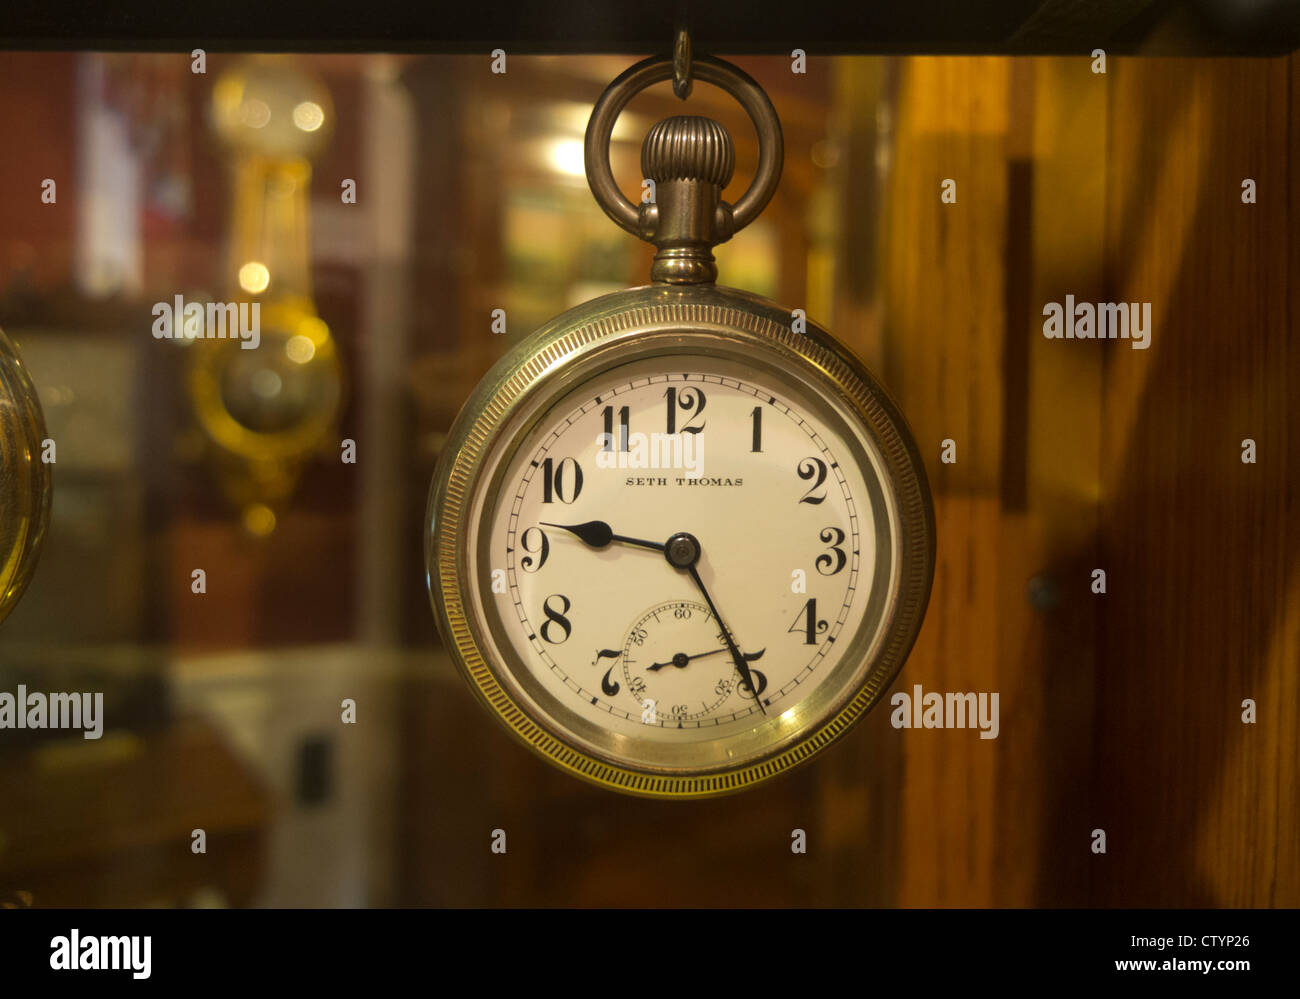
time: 9:25
